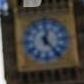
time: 12:23
